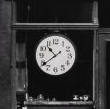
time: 10:39
